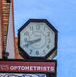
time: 8:41
